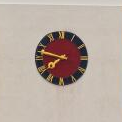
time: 7:47
